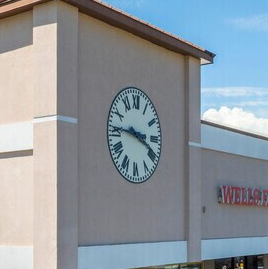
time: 3:45
